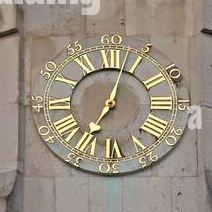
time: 7:03
